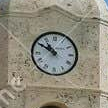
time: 10:50
